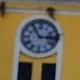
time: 2:54
